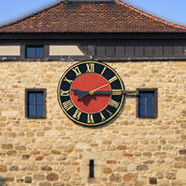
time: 9:14
